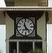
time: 11:23
